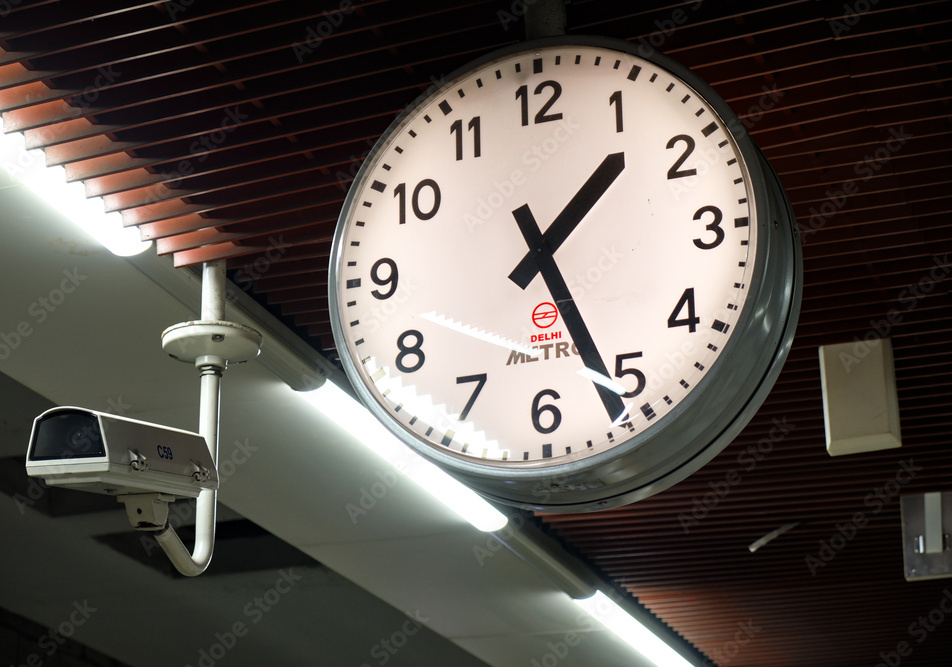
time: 1:26
